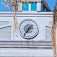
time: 1:35
